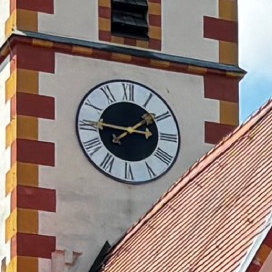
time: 1:45
